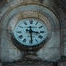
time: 3:29
